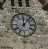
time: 12:07
